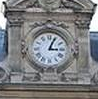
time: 3:04
